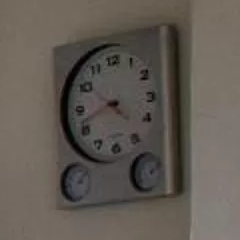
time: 4:41
